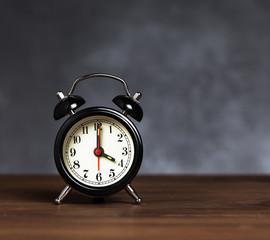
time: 4:00
